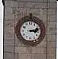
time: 3:12
